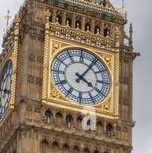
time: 4:05
